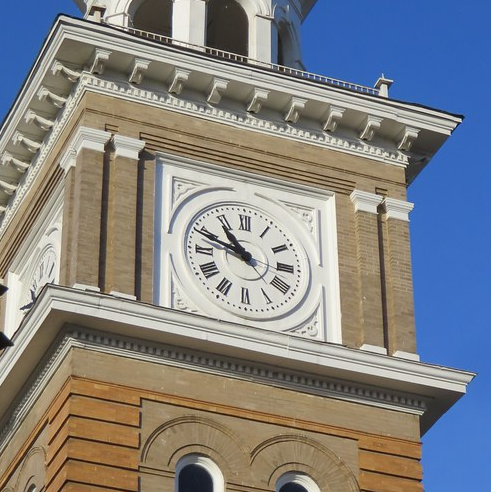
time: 10:48
